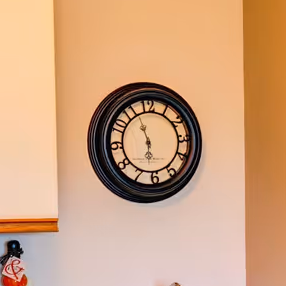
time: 5:56
